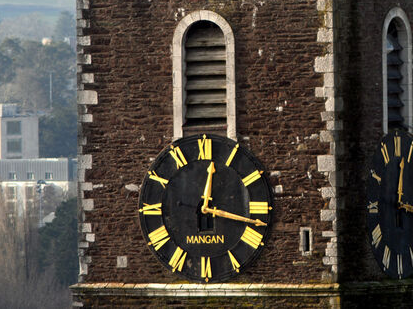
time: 12:17
